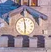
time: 5:58
